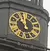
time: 11:51
